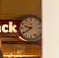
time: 9:39
